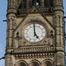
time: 4:59
